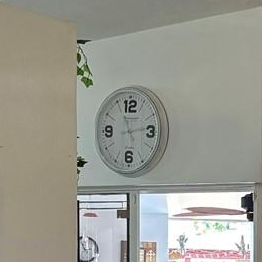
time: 11:13
